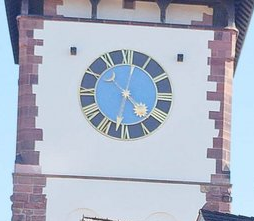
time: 4:32
